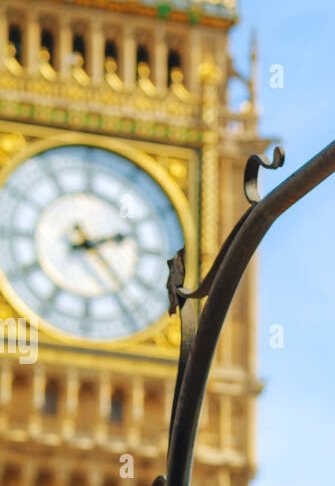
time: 2:23
